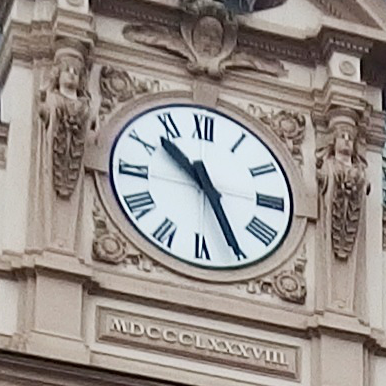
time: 10:25
